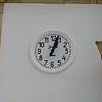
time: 1:02
